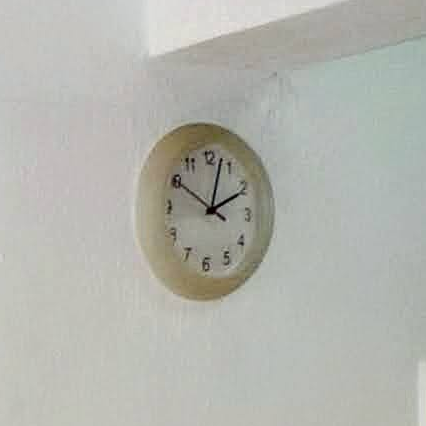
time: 2:02
